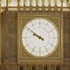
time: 9:50
